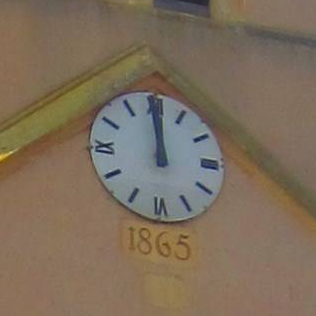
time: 11:59
